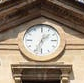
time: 1:33
